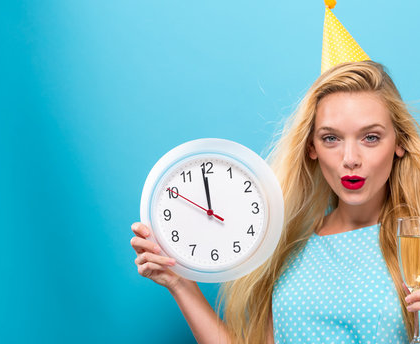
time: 11:58
